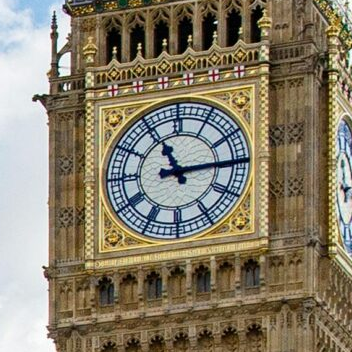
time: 11:14
